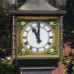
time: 11:00
